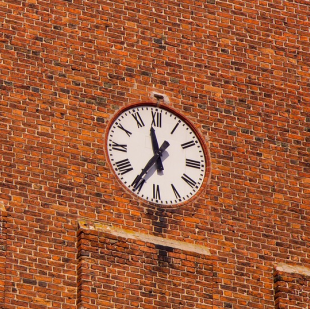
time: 11:35
